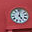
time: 5:02
